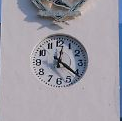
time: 12:20
